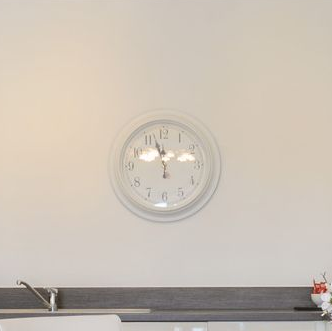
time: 11:13
